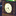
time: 4:42
